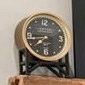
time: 7:44
